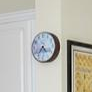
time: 4:36
